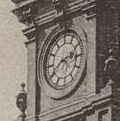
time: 2:40
